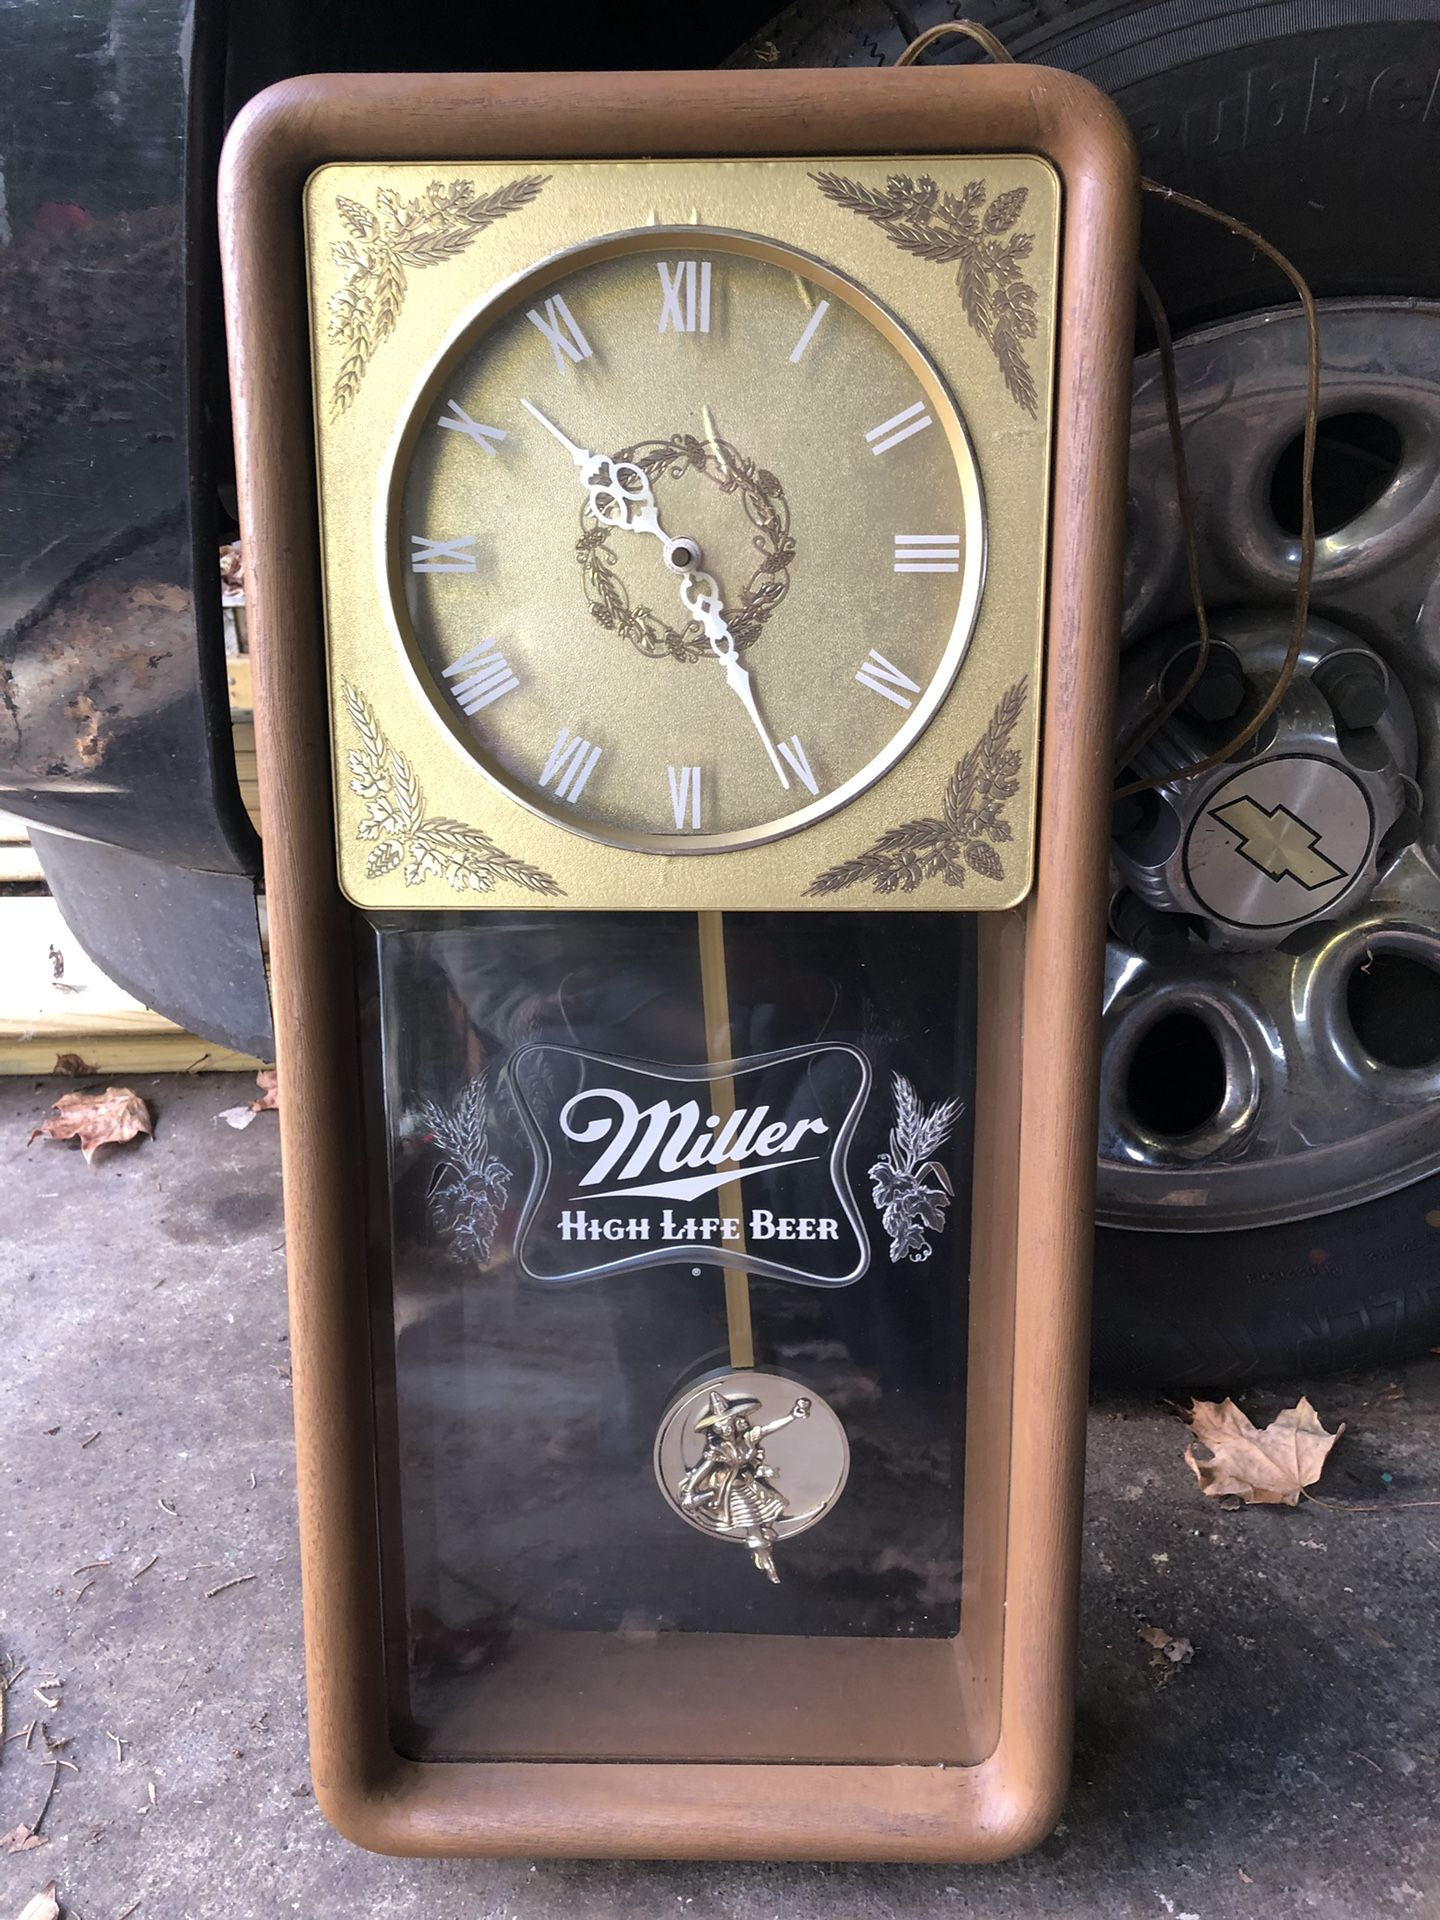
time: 10:25
